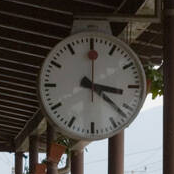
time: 3:21
